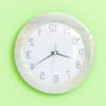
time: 3:40
